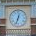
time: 12:33
